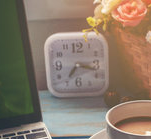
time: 7:17
